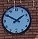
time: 1:50
